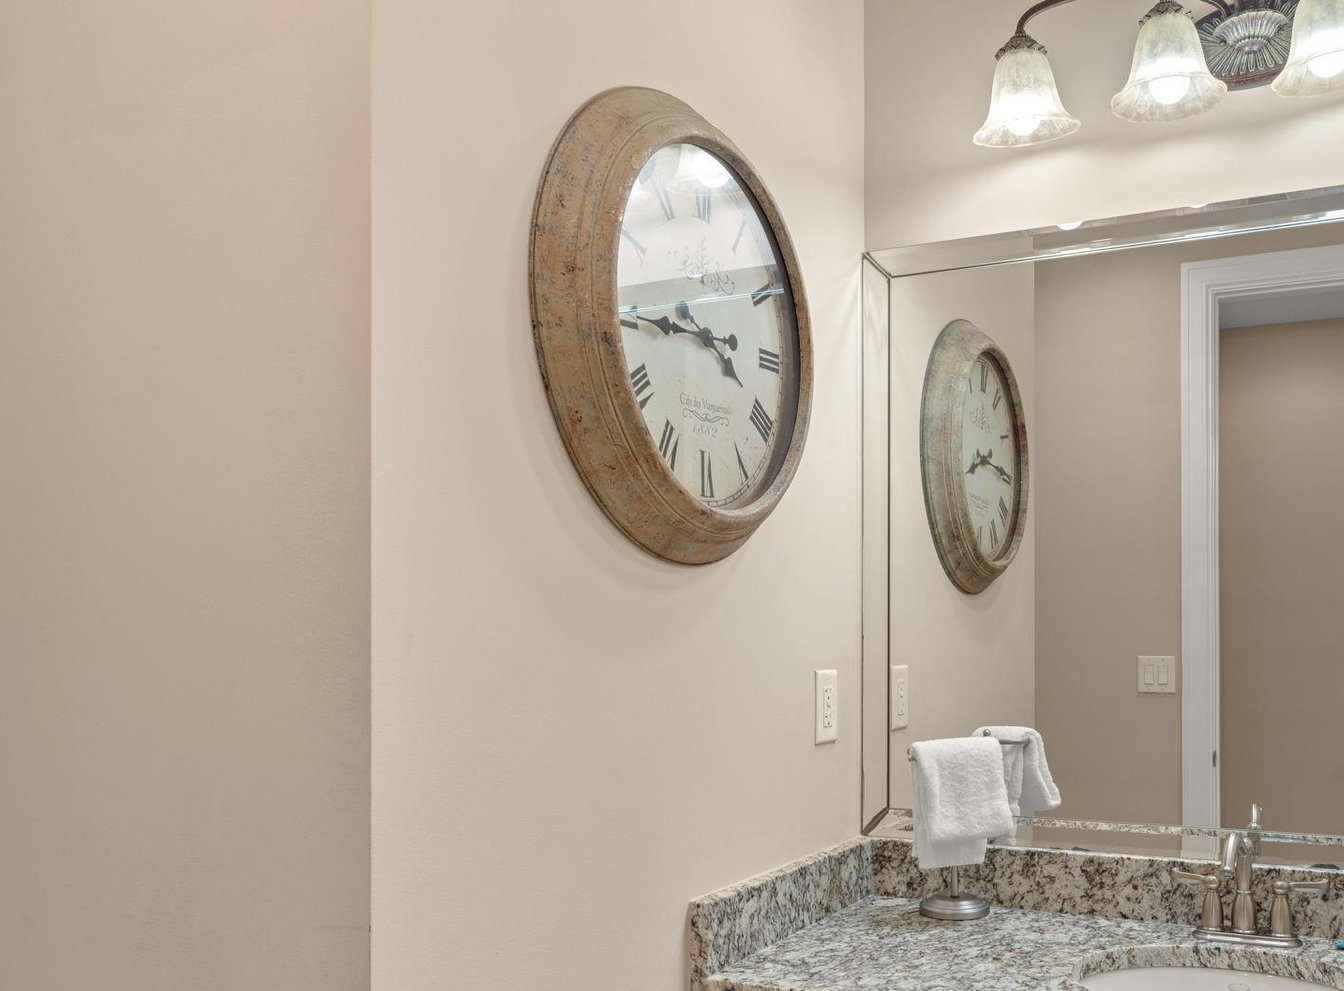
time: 3:44
